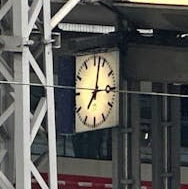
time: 7:02
